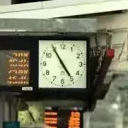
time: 4:54
